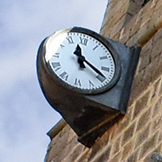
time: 11:19
